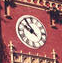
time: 9:54
